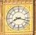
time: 8:17
